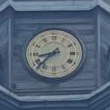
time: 8:37
